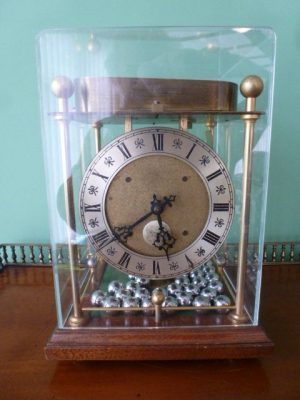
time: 5:38
